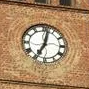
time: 7:02
